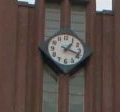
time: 1:18
